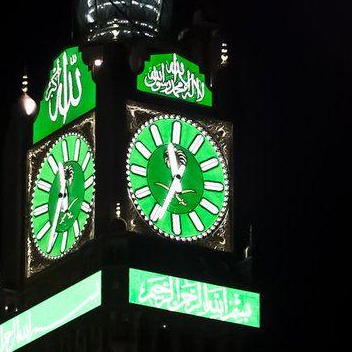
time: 11:33
